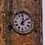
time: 12:07
